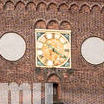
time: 6:21
